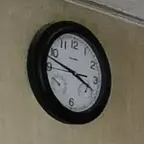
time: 3:47
